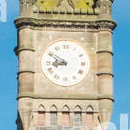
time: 8:50
